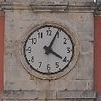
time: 4:04
